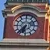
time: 6:37
